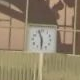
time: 5:57
